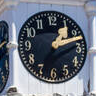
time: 1:11
